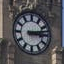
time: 3:13
